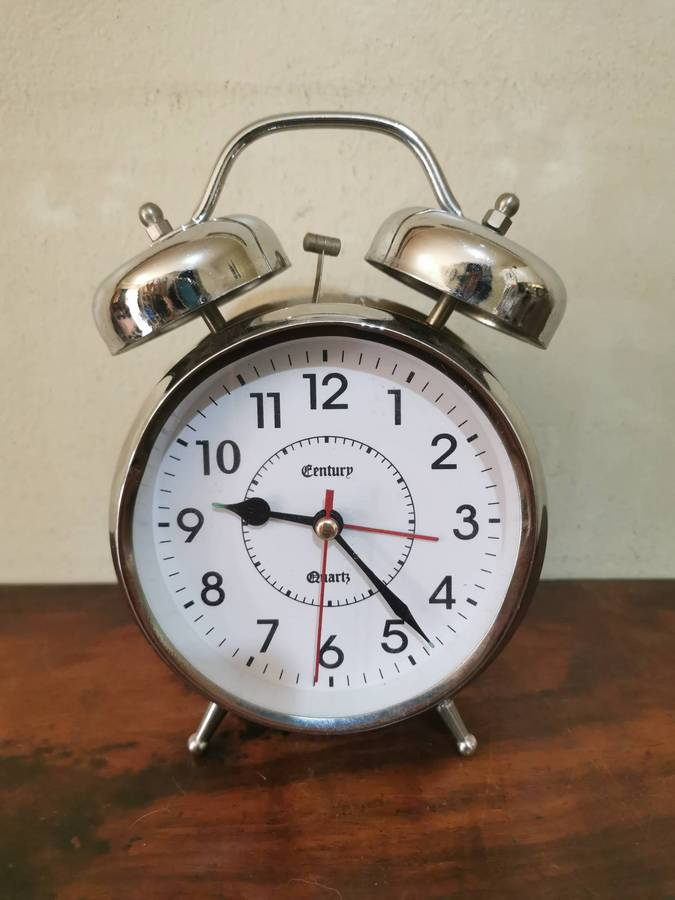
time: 9:23
